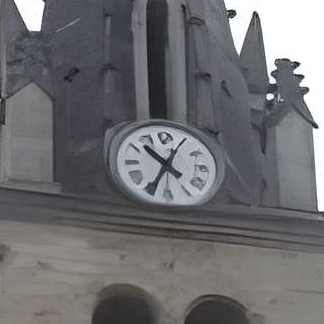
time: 10:34
